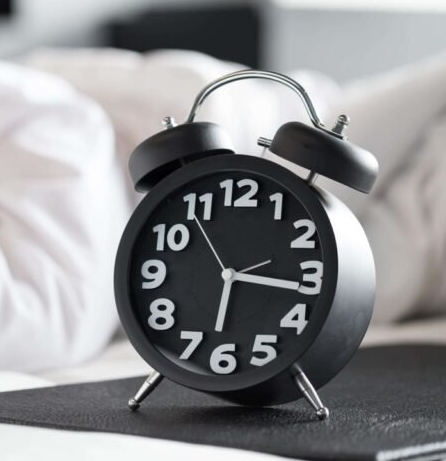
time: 6:16
